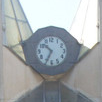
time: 10:34
